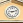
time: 9:12
